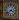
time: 3:38
